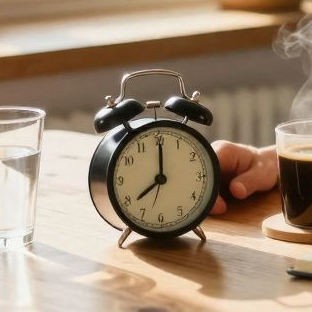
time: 8:00
